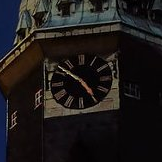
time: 4:51
